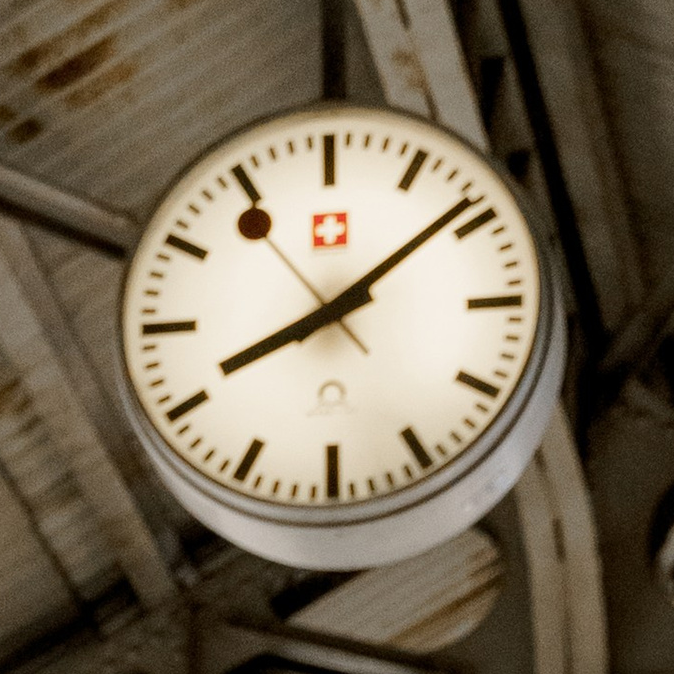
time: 8:08
